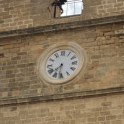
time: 7:31
